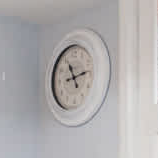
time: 11:13
